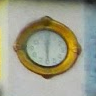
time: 6:00
